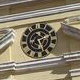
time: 2:26
